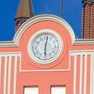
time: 6:01
